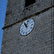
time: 11:02
